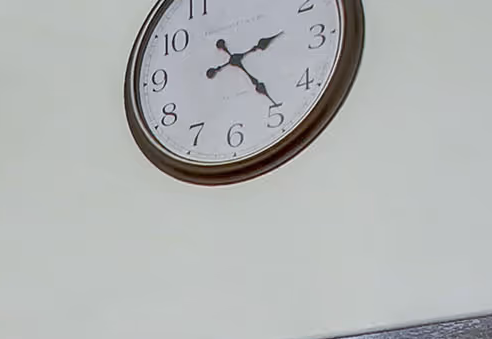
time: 2:23
